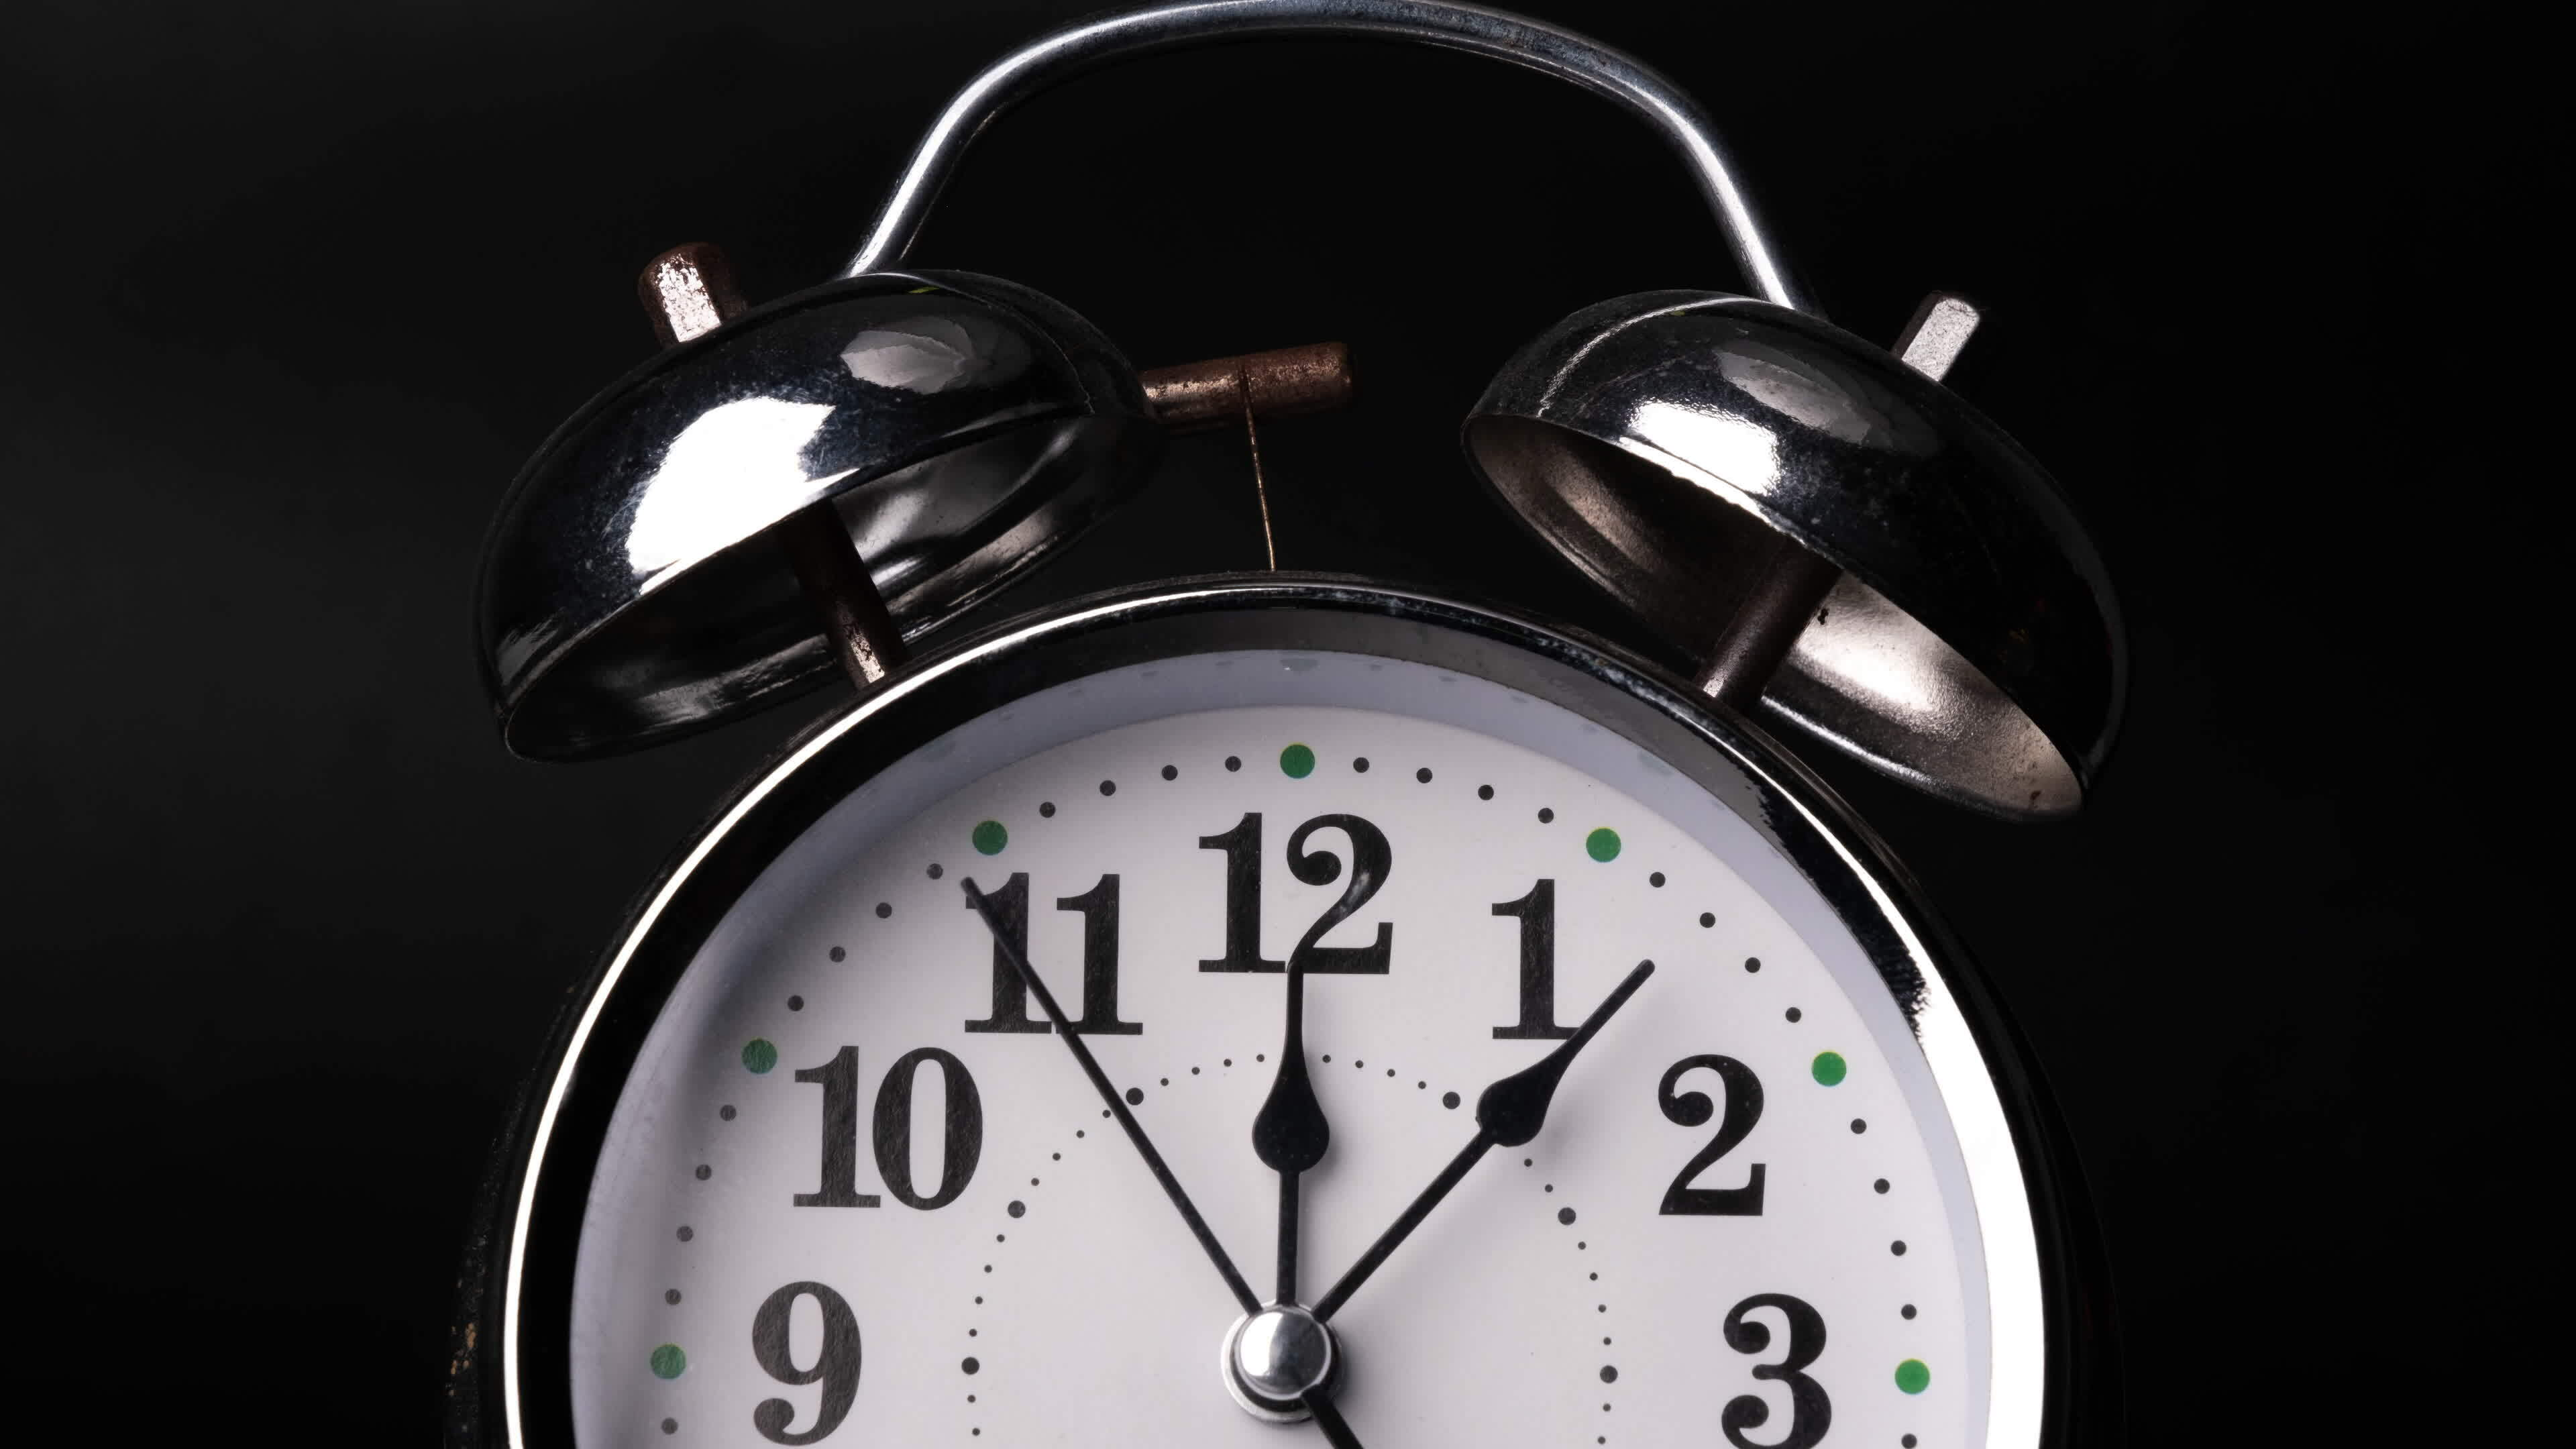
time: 12:06
